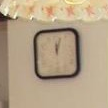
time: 12:03
